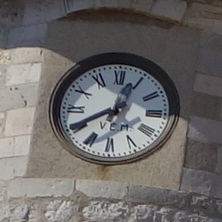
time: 12:40
